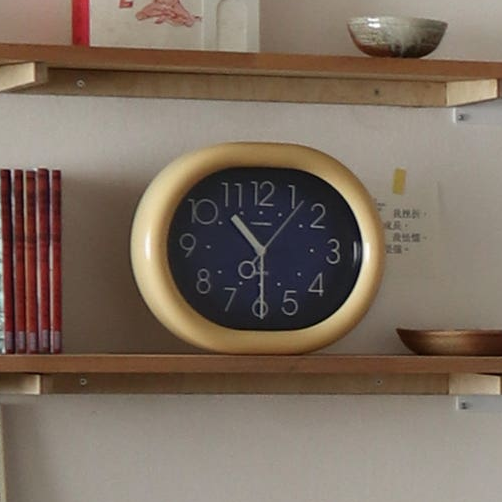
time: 10:29
